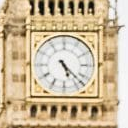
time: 5:22
